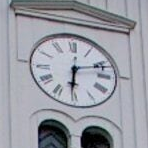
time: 6:12
